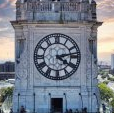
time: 4:13
